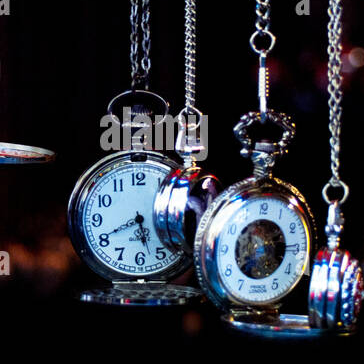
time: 5:40
